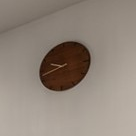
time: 9:42
